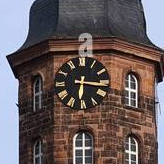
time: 6:16
